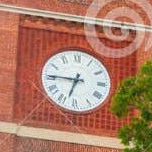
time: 6:45
